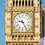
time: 9:25
